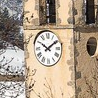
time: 10:09
